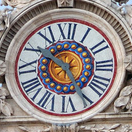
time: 10:25
